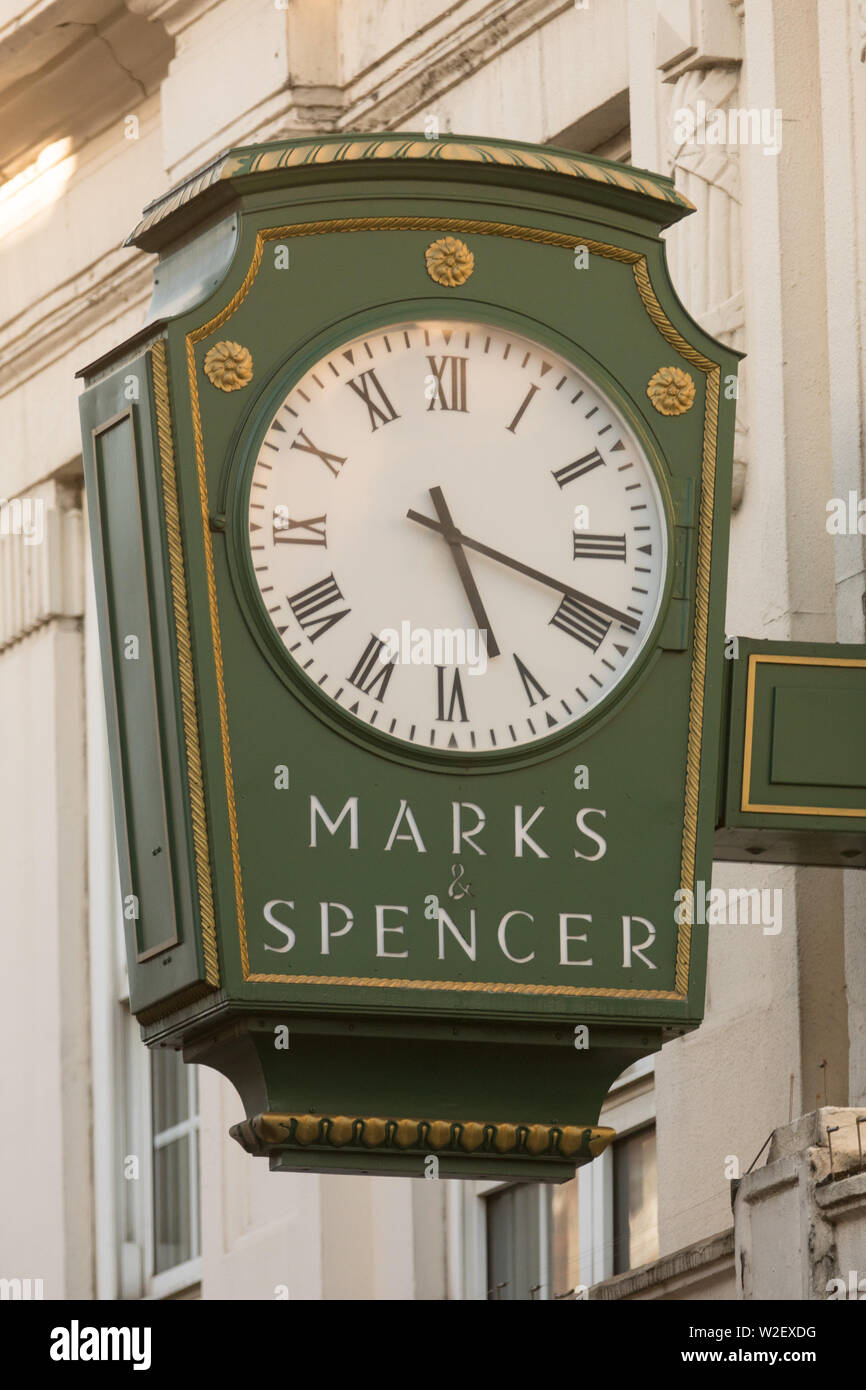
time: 5:18
